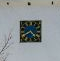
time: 4:40
